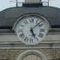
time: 5:07
